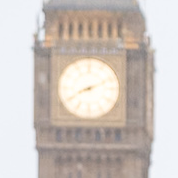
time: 8:11
